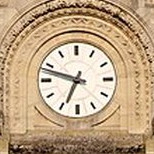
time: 6:48
